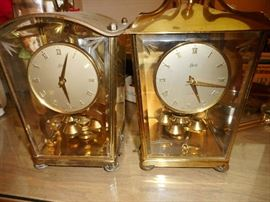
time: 5:16
